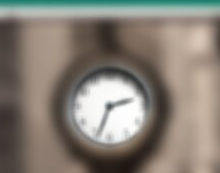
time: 2:33
